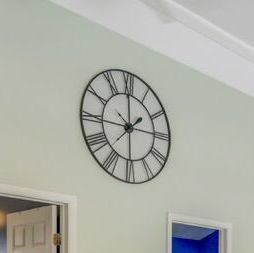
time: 1:59
